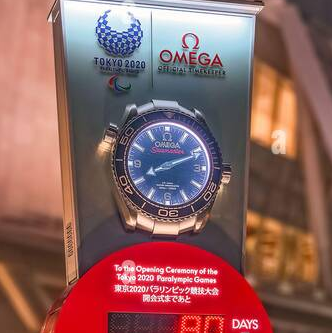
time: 8:11
